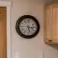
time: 5:15
